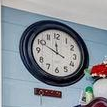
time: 11:49
